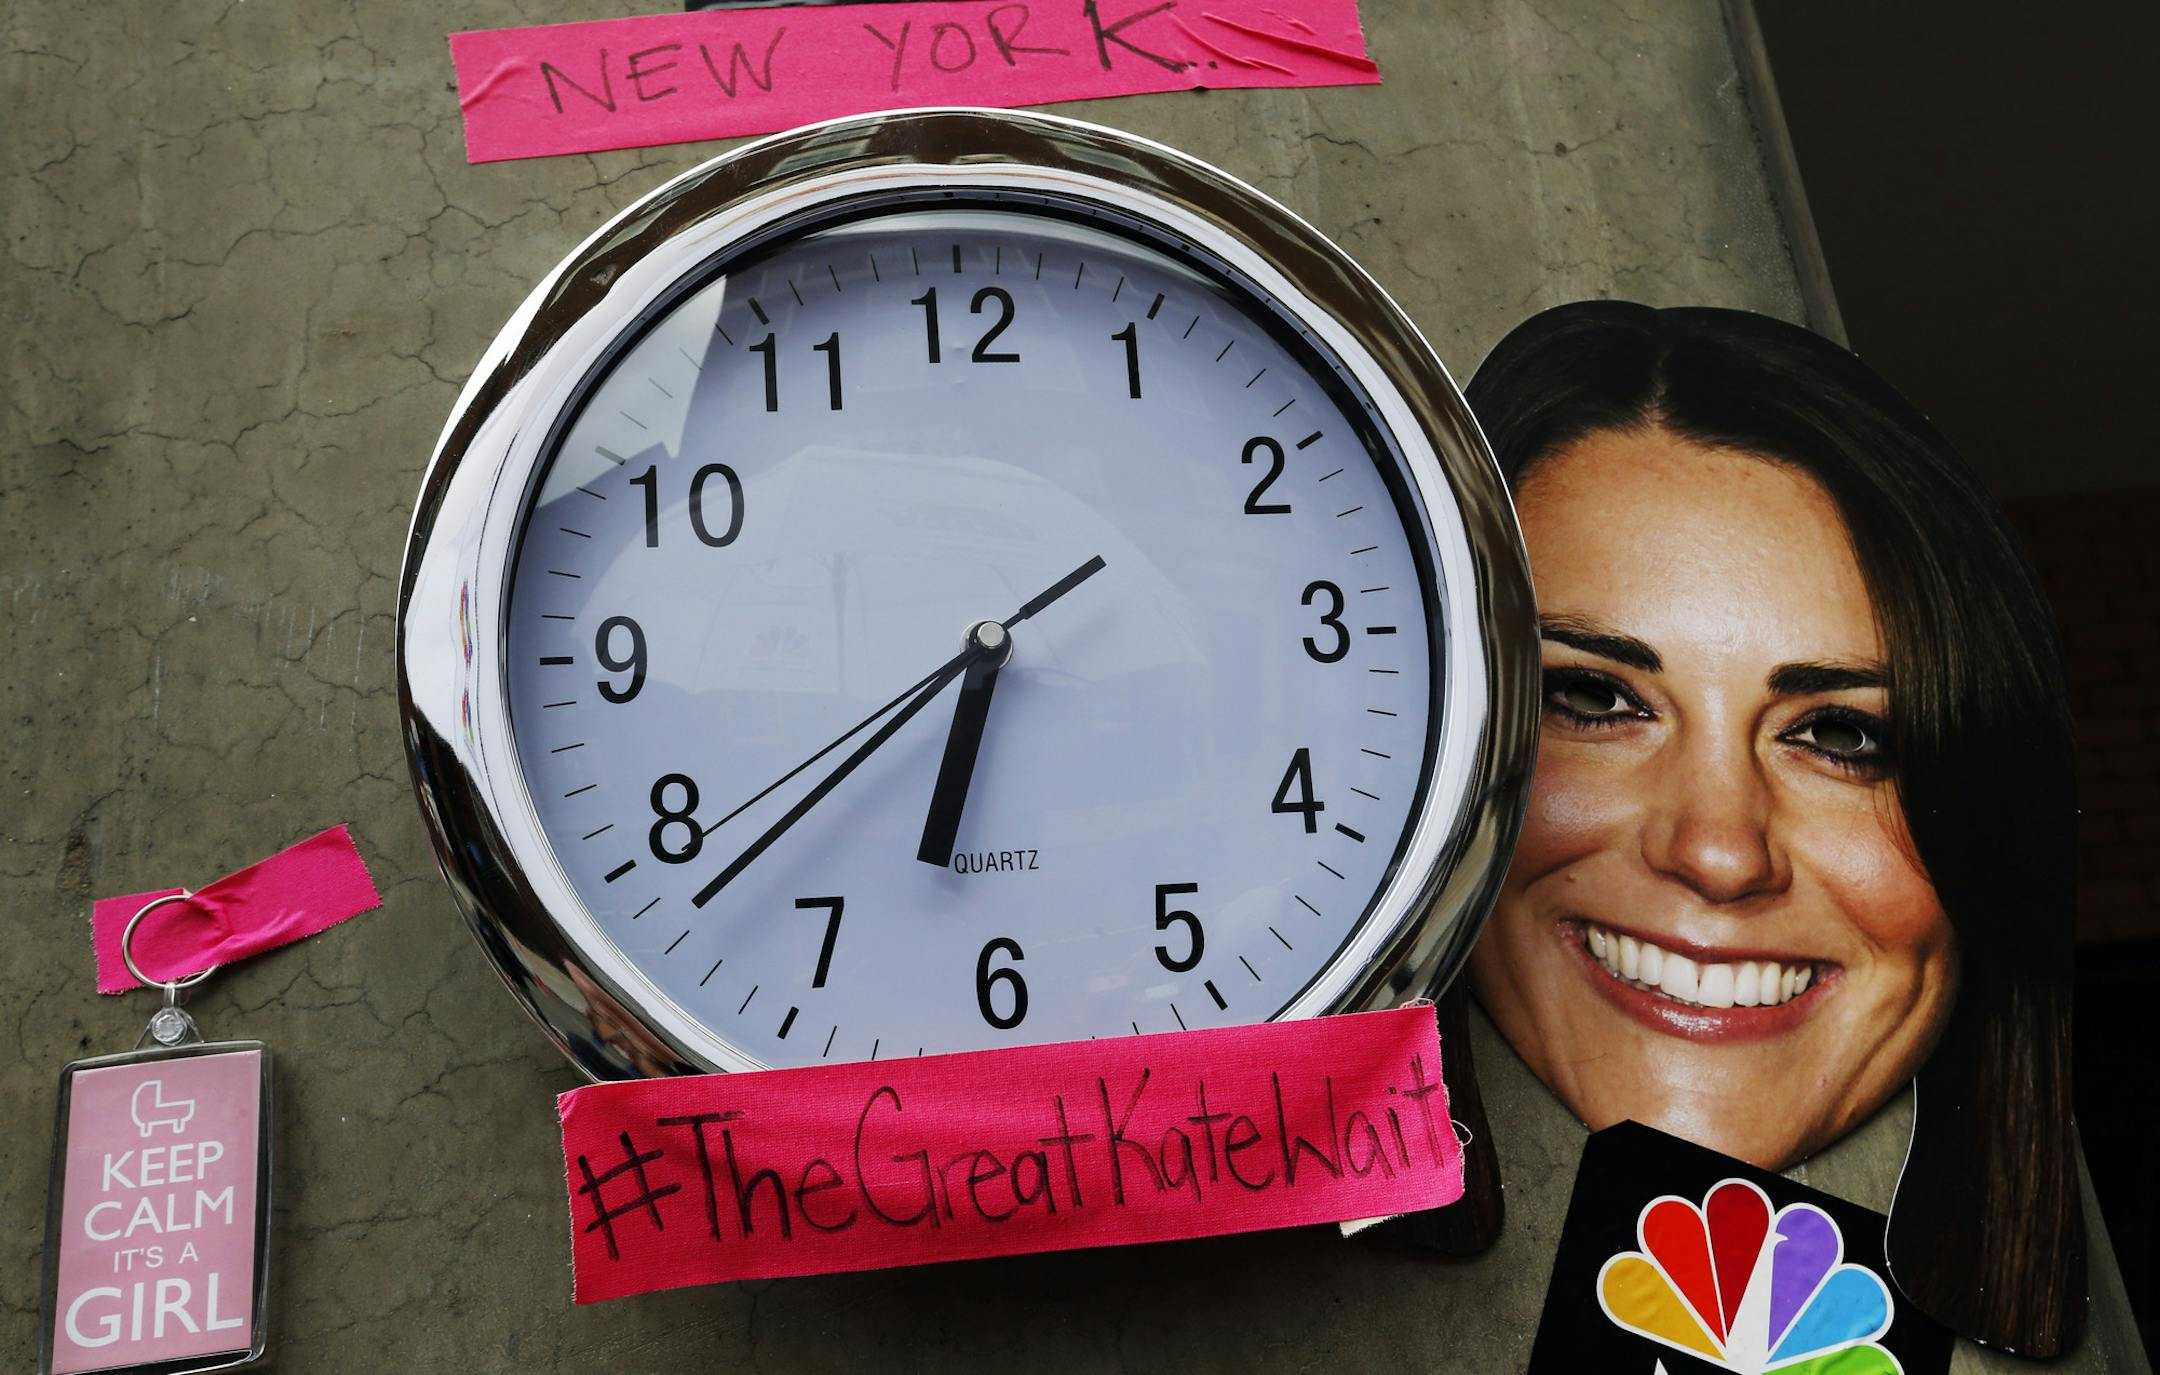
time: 6:38
